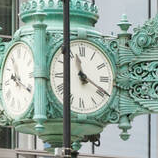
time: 11:19
